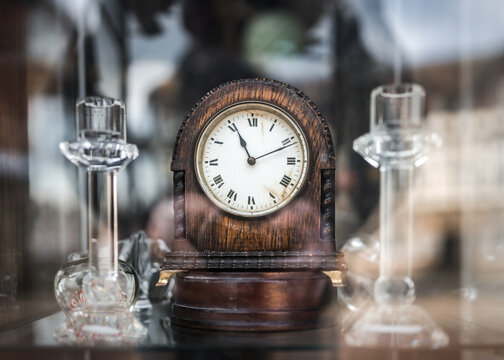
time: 11:10
